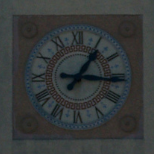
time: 1:16
